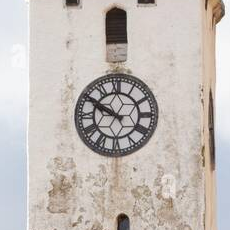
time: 9:50
